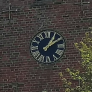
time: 1:09
